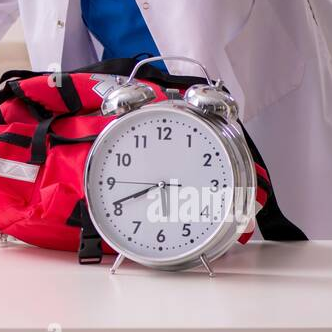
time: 5:41
